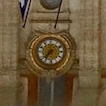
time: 7:36
